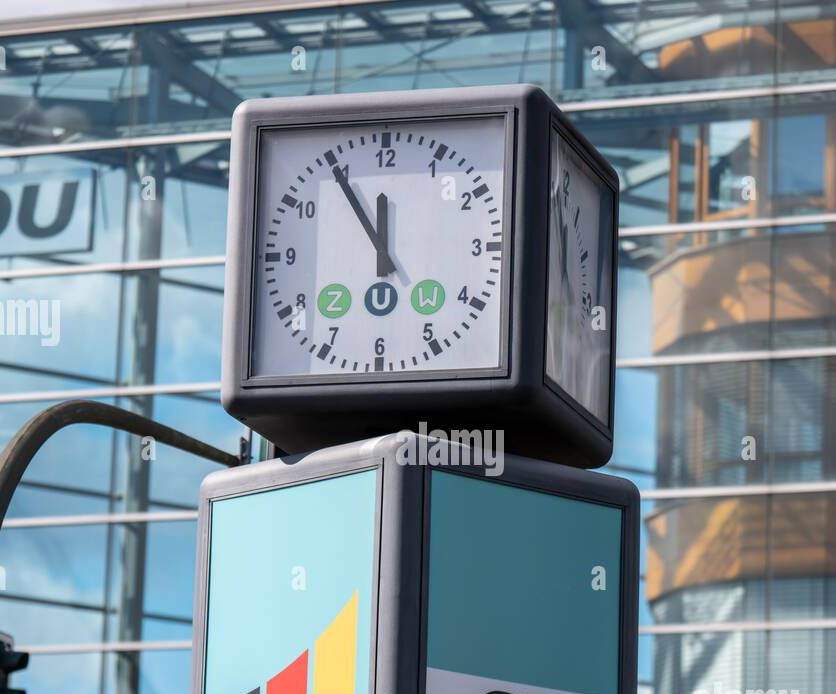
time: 11:54
